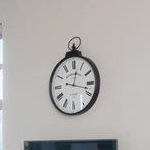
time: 12:17
